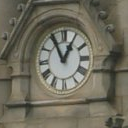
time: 12:55
